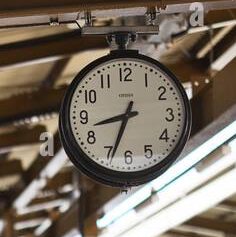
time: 8:33
